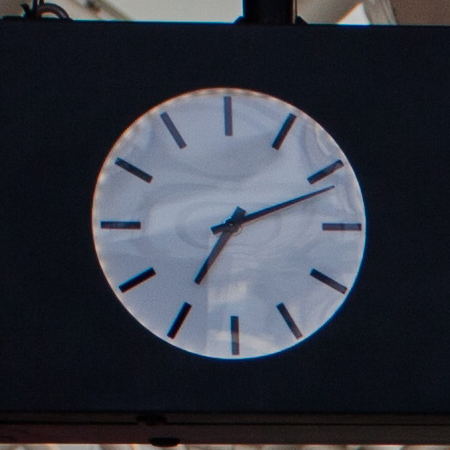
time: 7:11
